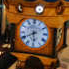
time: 5:40
